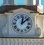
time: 12:07
